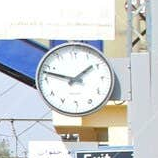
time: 1:47
